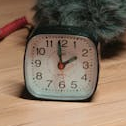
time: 1:59
